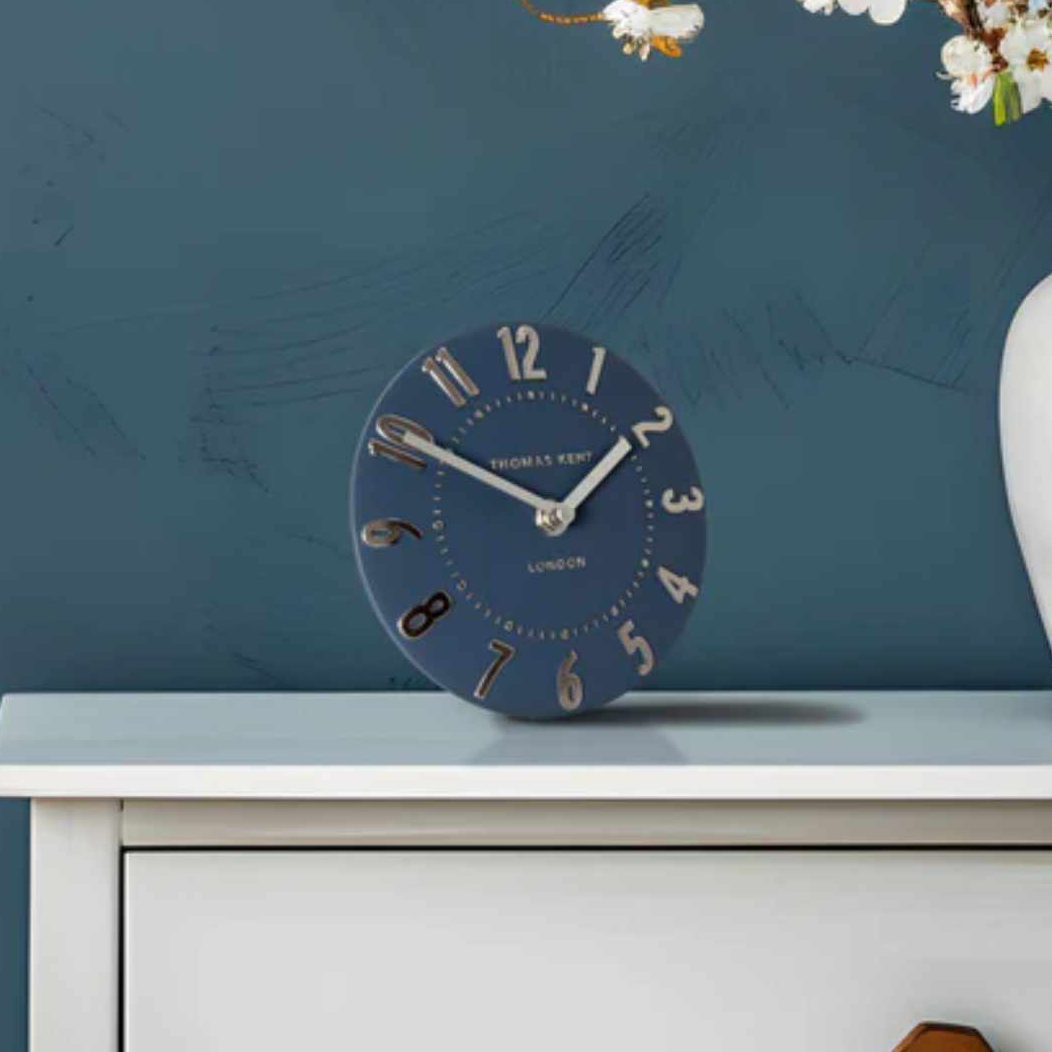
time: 1:50
